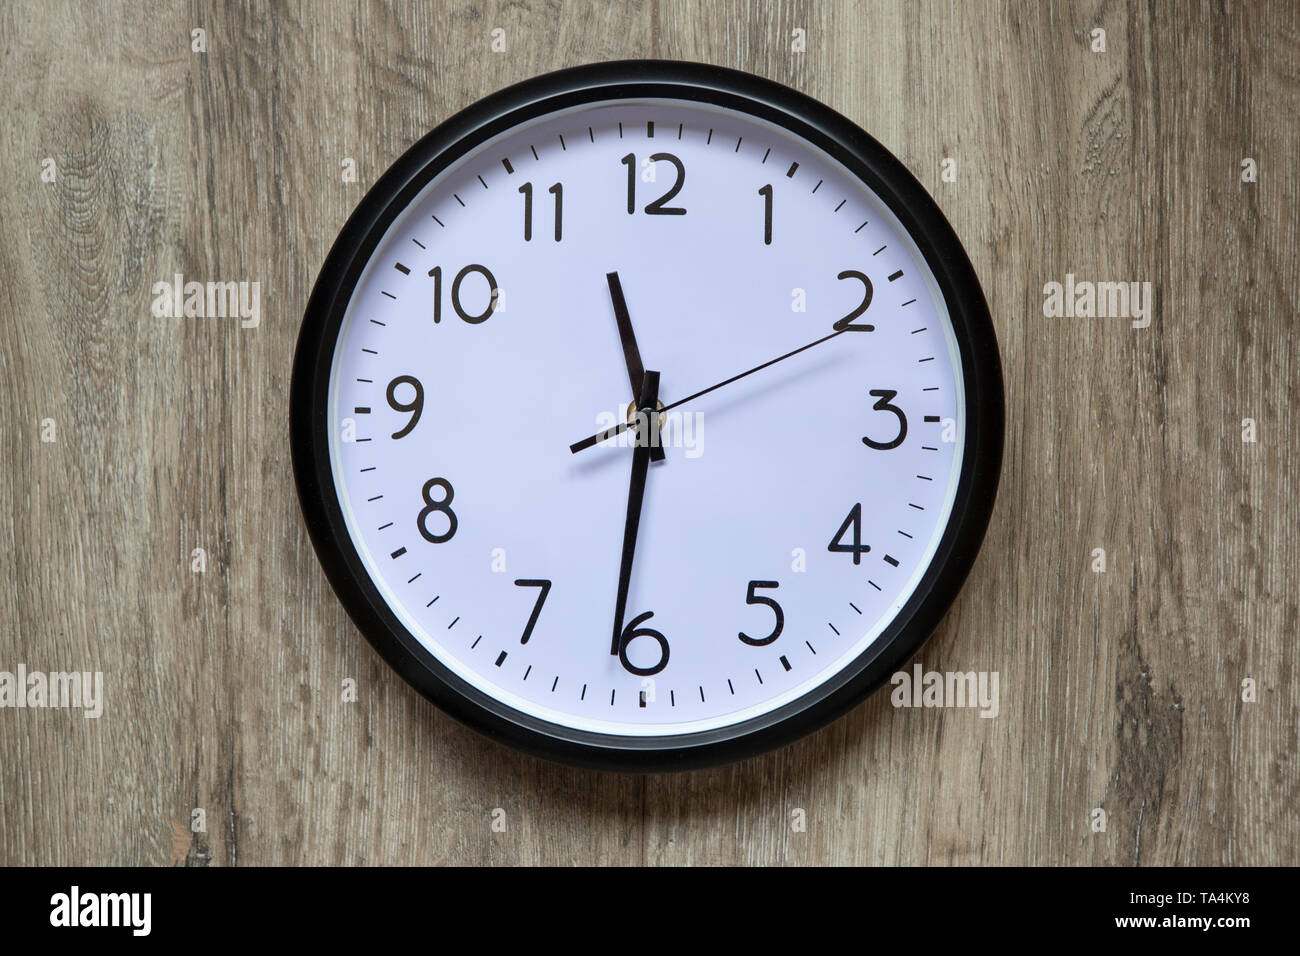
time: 11:31
